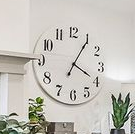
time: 4:05
